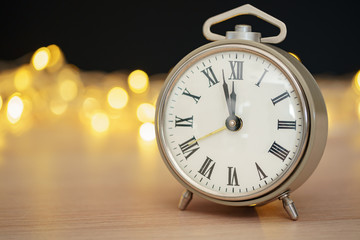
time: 11:57
